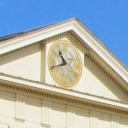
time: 10:41
